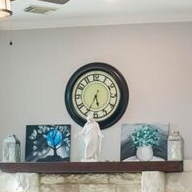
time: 5:34
